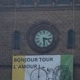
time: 3:28
